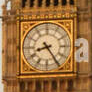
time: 8:24
